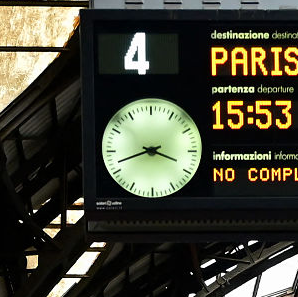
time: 3:42
